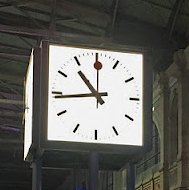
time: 10:43
